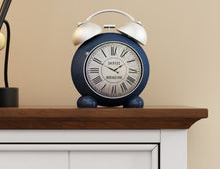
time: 1:49
